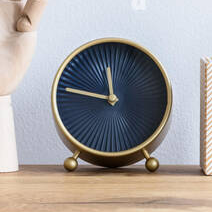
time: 11:46
